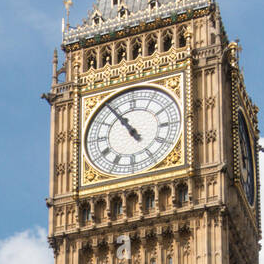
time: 10:54
